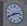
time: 2:40
